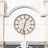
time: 12:32
